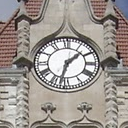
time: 1:32
